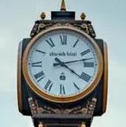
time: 4:12
